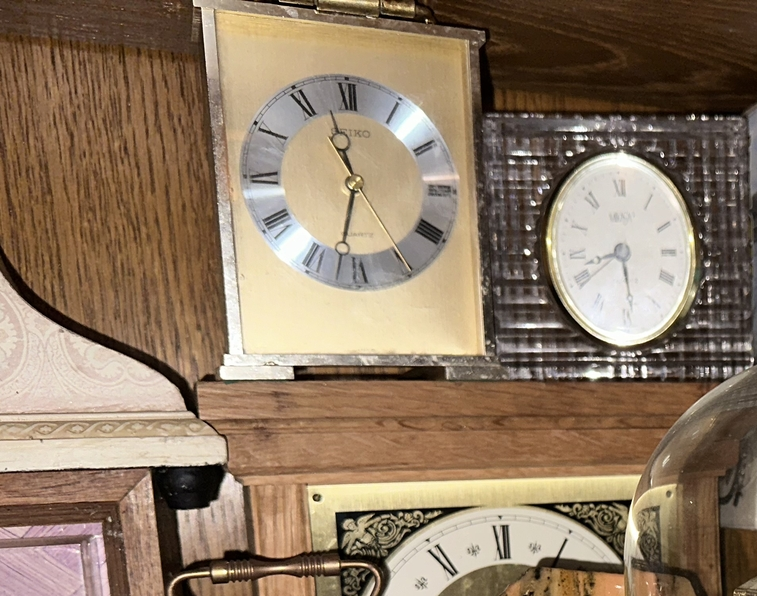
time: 11:32
